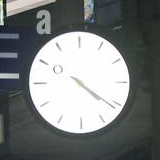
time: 4:21
